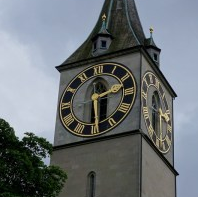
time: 2:29
